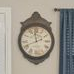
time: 11:41
